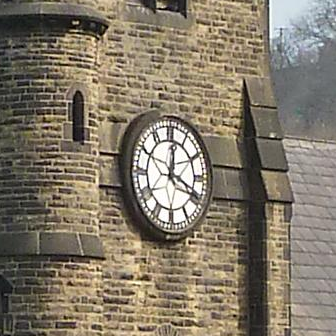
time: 12:19
